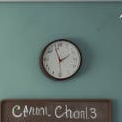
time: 1:56
